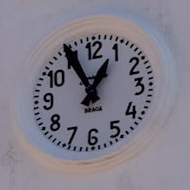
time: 12:55
